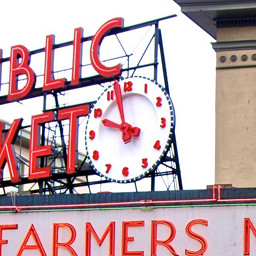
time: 9:57
